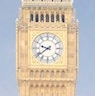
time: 9:39
